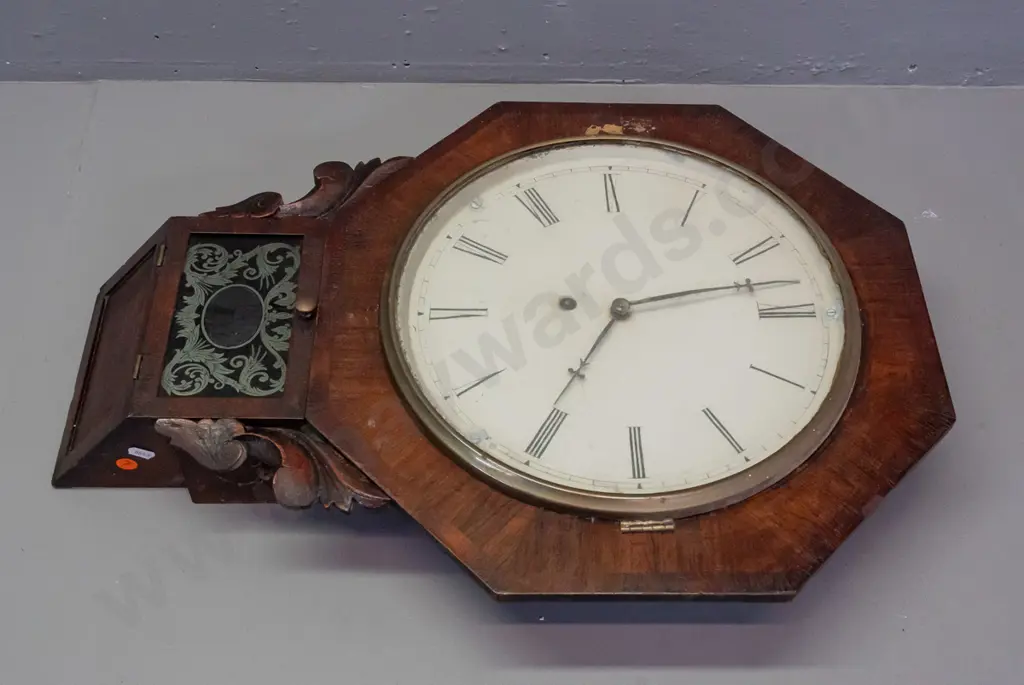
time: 2:34
